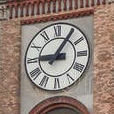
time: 9:05
